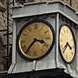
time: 3:37
